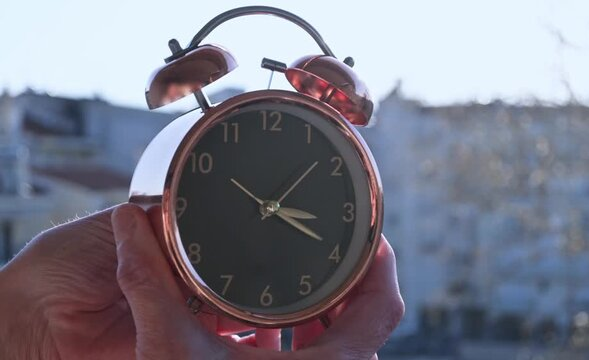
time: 3:19
